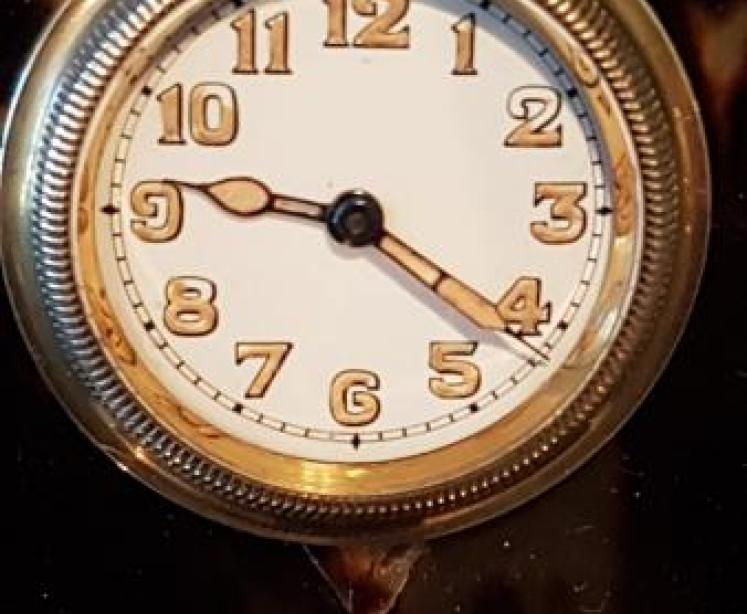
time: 9:21
